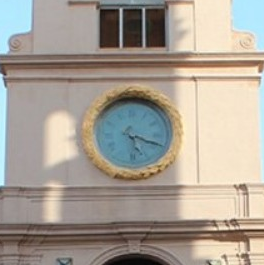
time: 5:18
